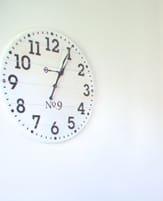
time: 1:04
